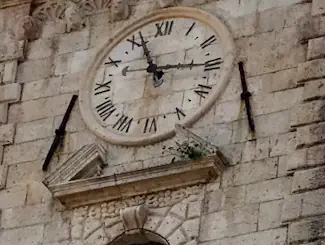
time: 11:15
